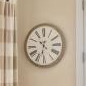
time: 10:32
